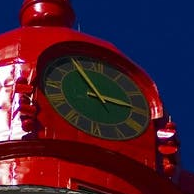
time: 2:54
